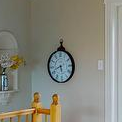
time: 5:40
